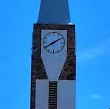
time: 8:09
